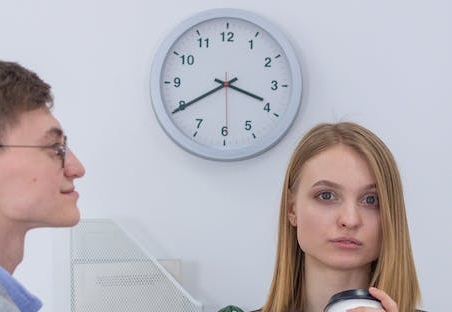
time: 3:39
